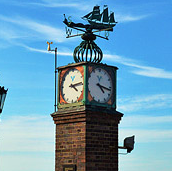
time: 4:16
